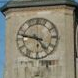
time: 4:46
